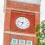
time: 6:47
